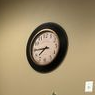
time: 7:45
